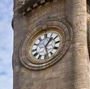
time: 1:28
